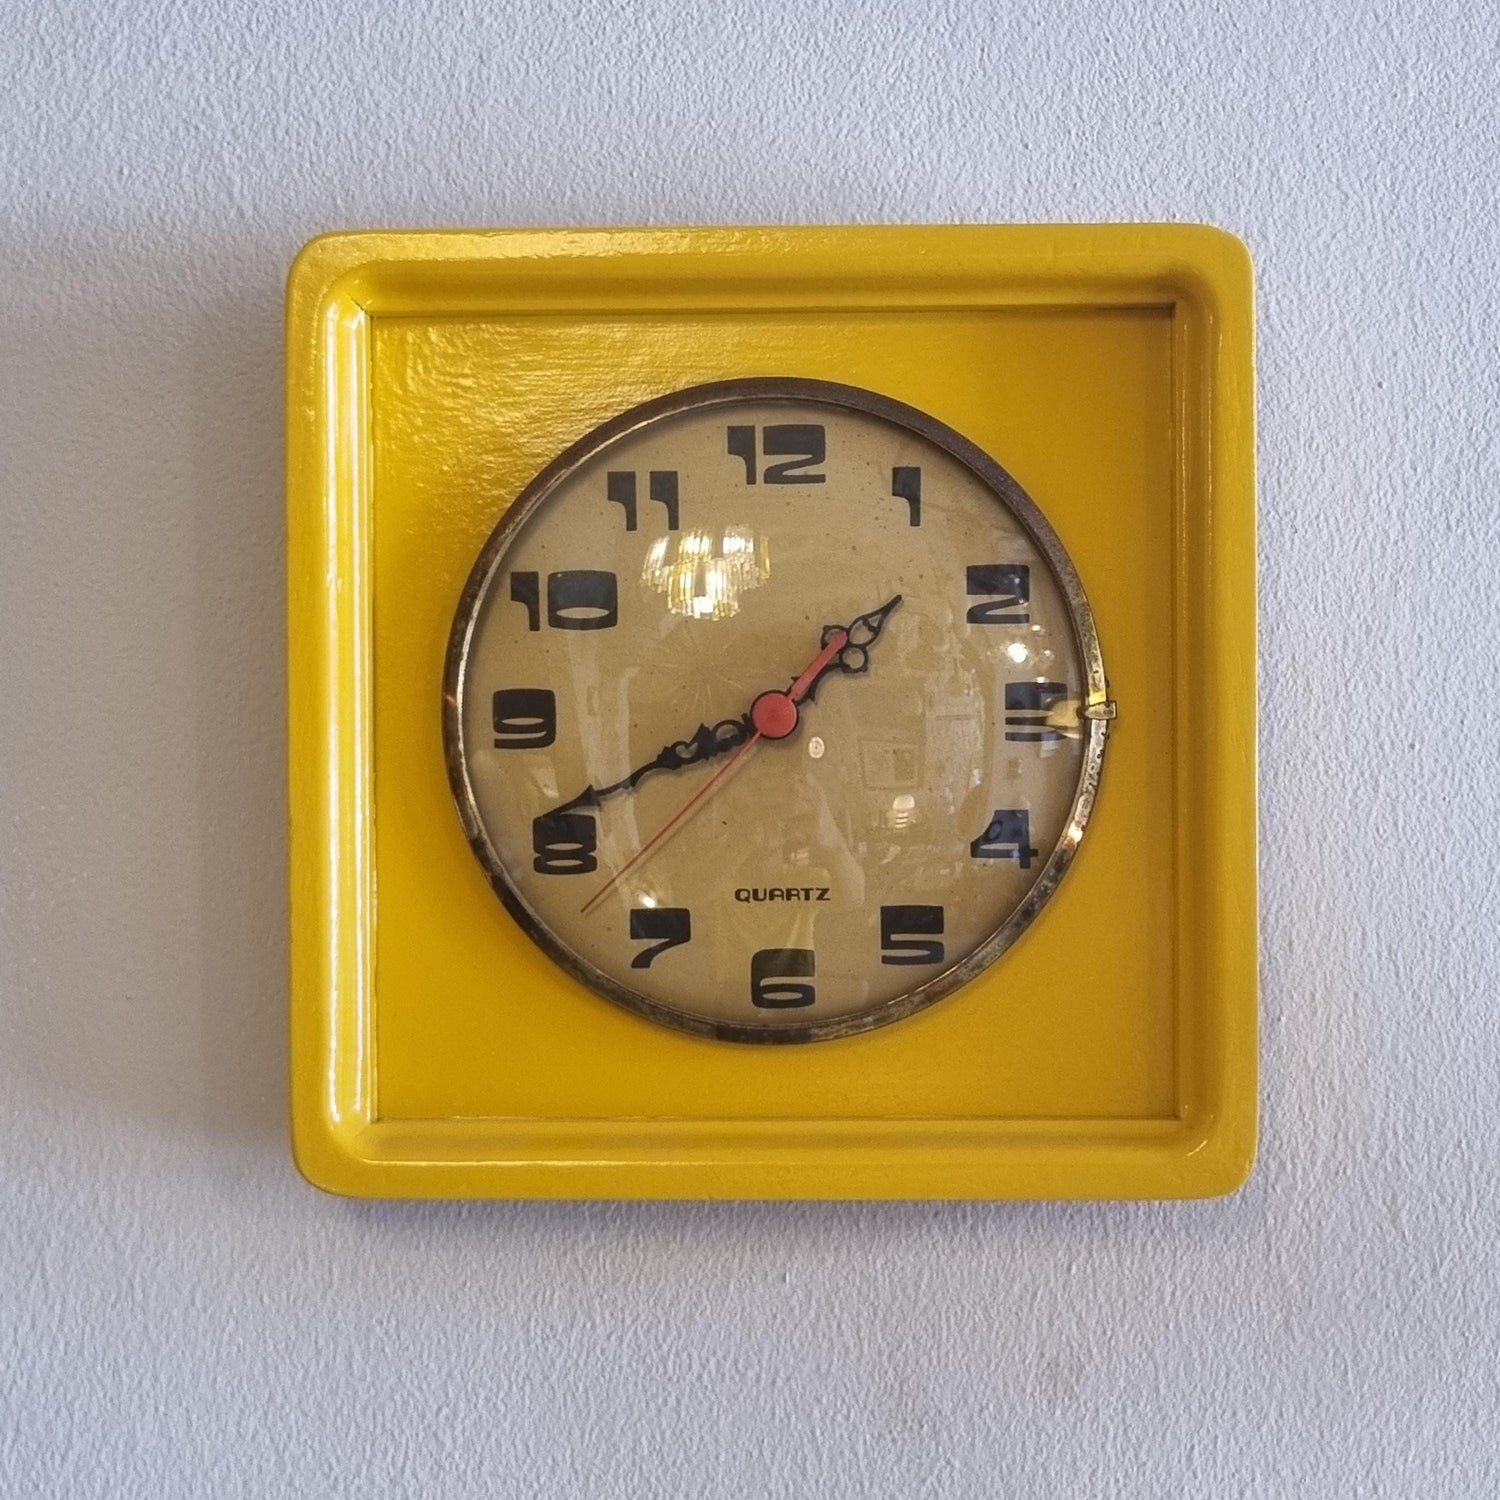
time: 1:41
